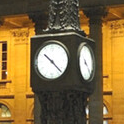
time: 10:22
